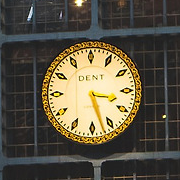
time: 3:27
